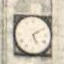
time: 5:10
